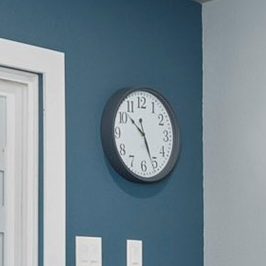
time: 10:26
